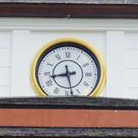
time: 8:28
